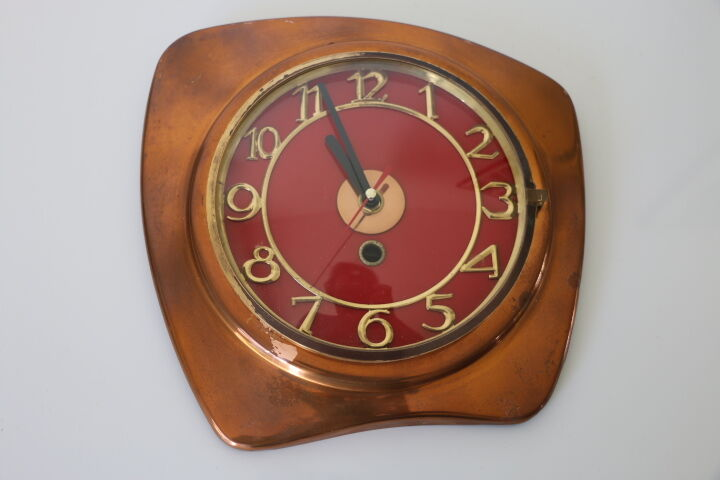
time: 10:56
